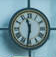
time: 11:31
